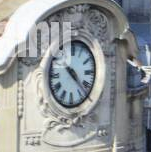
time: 4:22
